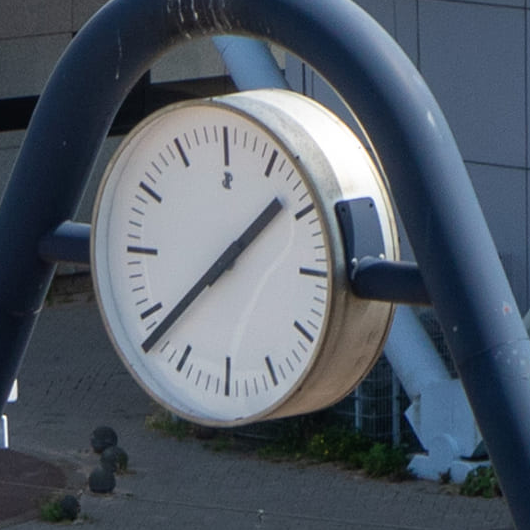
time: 1:38
